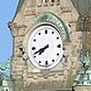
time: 7:41
